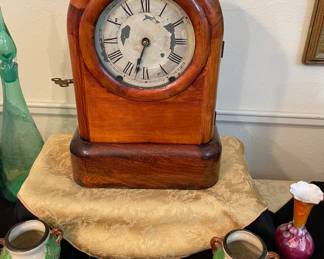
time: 6:32
